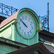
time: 9:50
